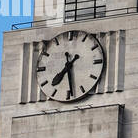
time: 7:28
